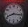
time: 8:16
